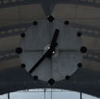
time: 12:37
